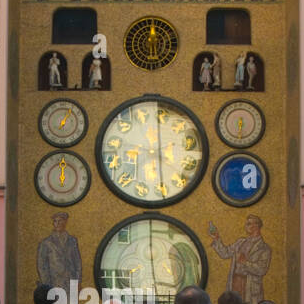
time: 5:59
